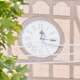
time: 12:16
